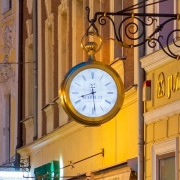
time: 8:29
